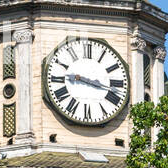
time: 9:17
